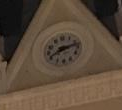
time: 8:12
